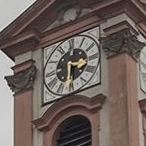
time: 3:30
